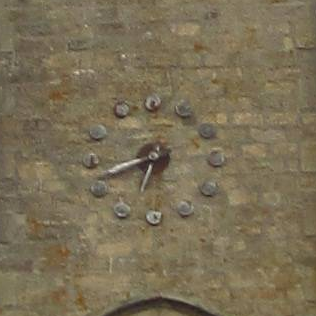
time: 6:42
